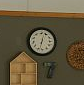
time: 12:32
